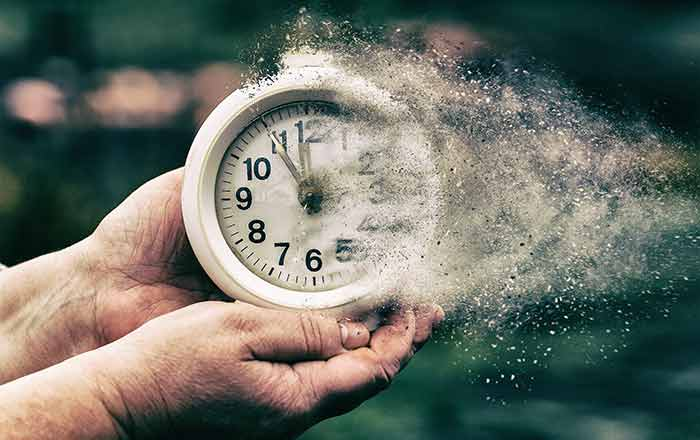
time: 10:59
